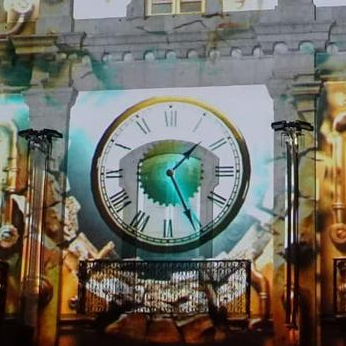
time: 1:25
